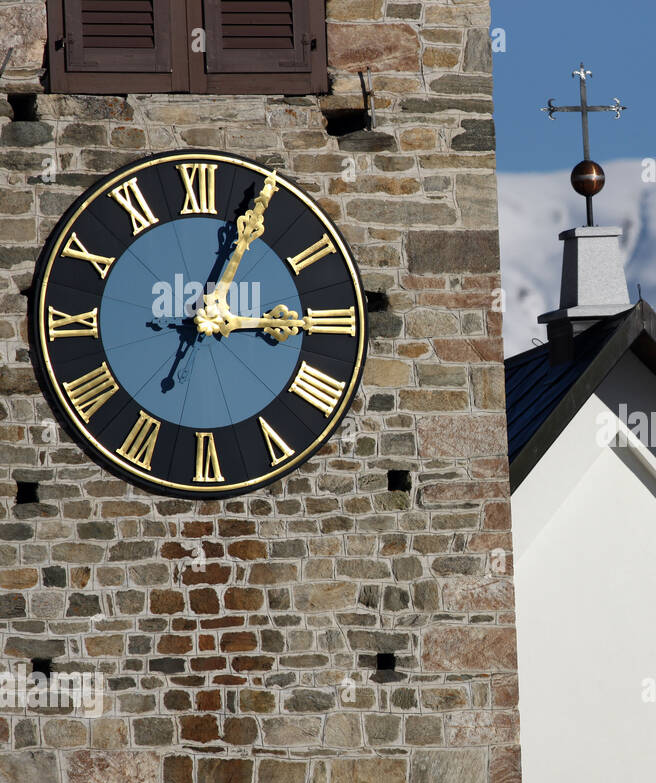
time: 3:04
